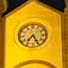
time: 7:25
